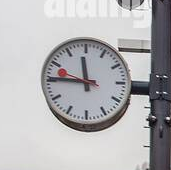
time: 11:46
